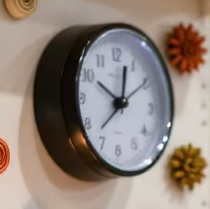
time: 10:02
